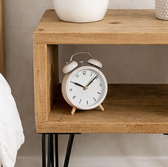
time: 10:08
